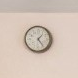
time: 1:24
